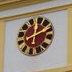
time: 12:10
